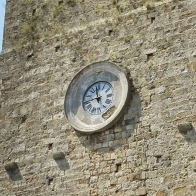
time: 11:42
